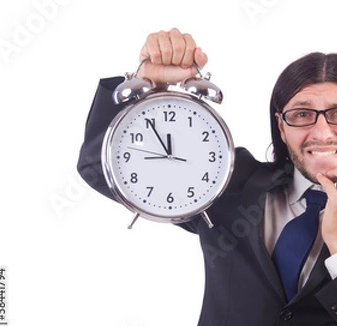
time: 11:54
